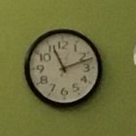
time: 11:11
